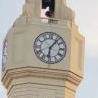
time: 6:06
